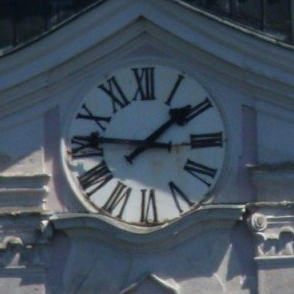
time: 1:46
